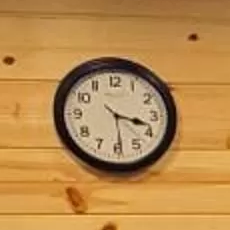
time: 3:29
